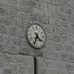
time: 4:34
